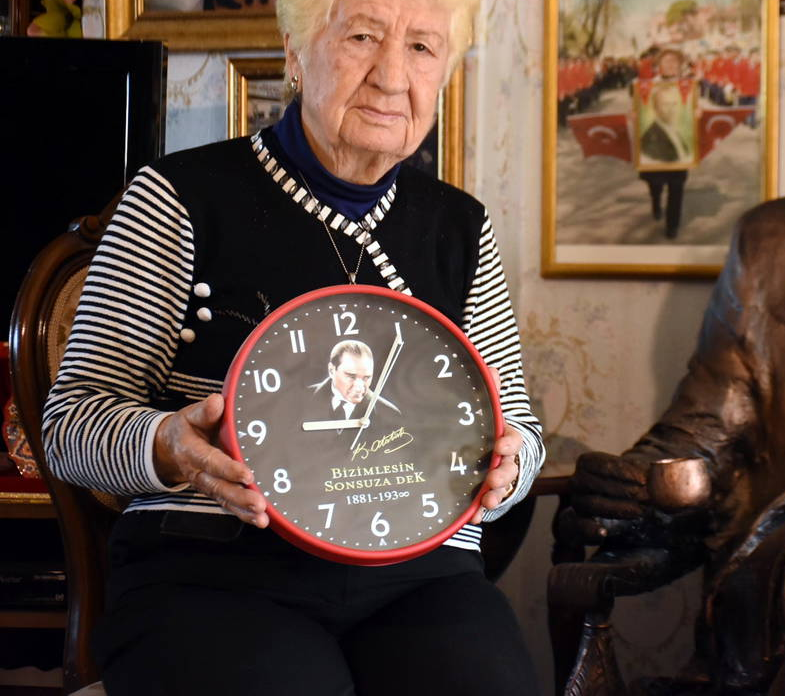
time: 9:05
